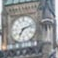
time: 7:12
